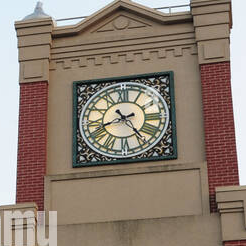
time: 8:24
